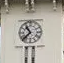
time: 10:37
